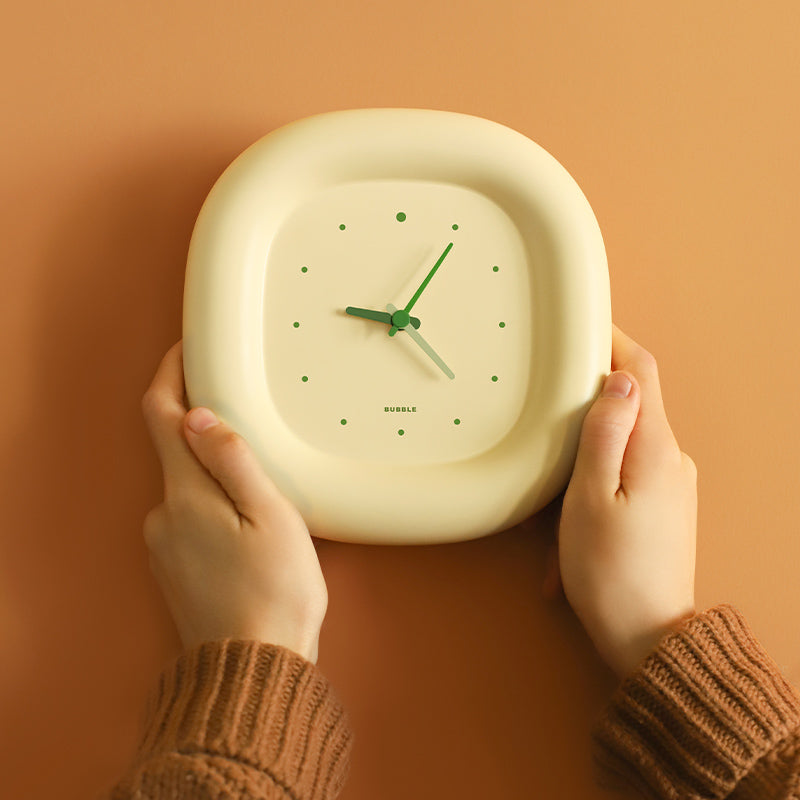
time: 9:05
